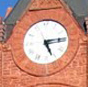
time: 5:14
